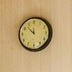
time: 11:52
